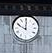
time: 10:00
